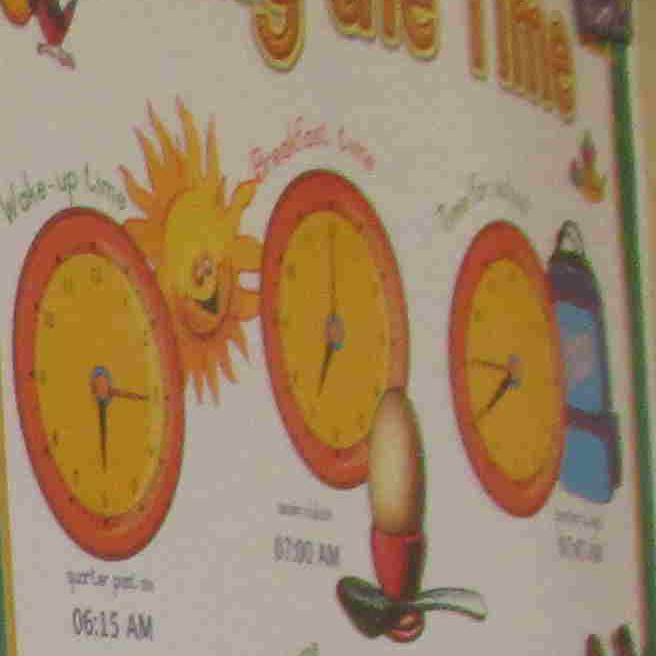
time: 7:00
